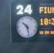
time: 10:28
